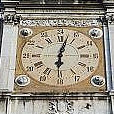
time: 6:02
